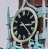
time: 3:23
